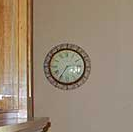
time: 2:35
